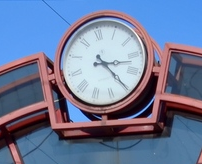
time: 3:24
